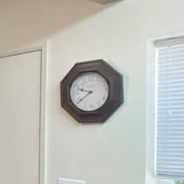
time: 9:39
